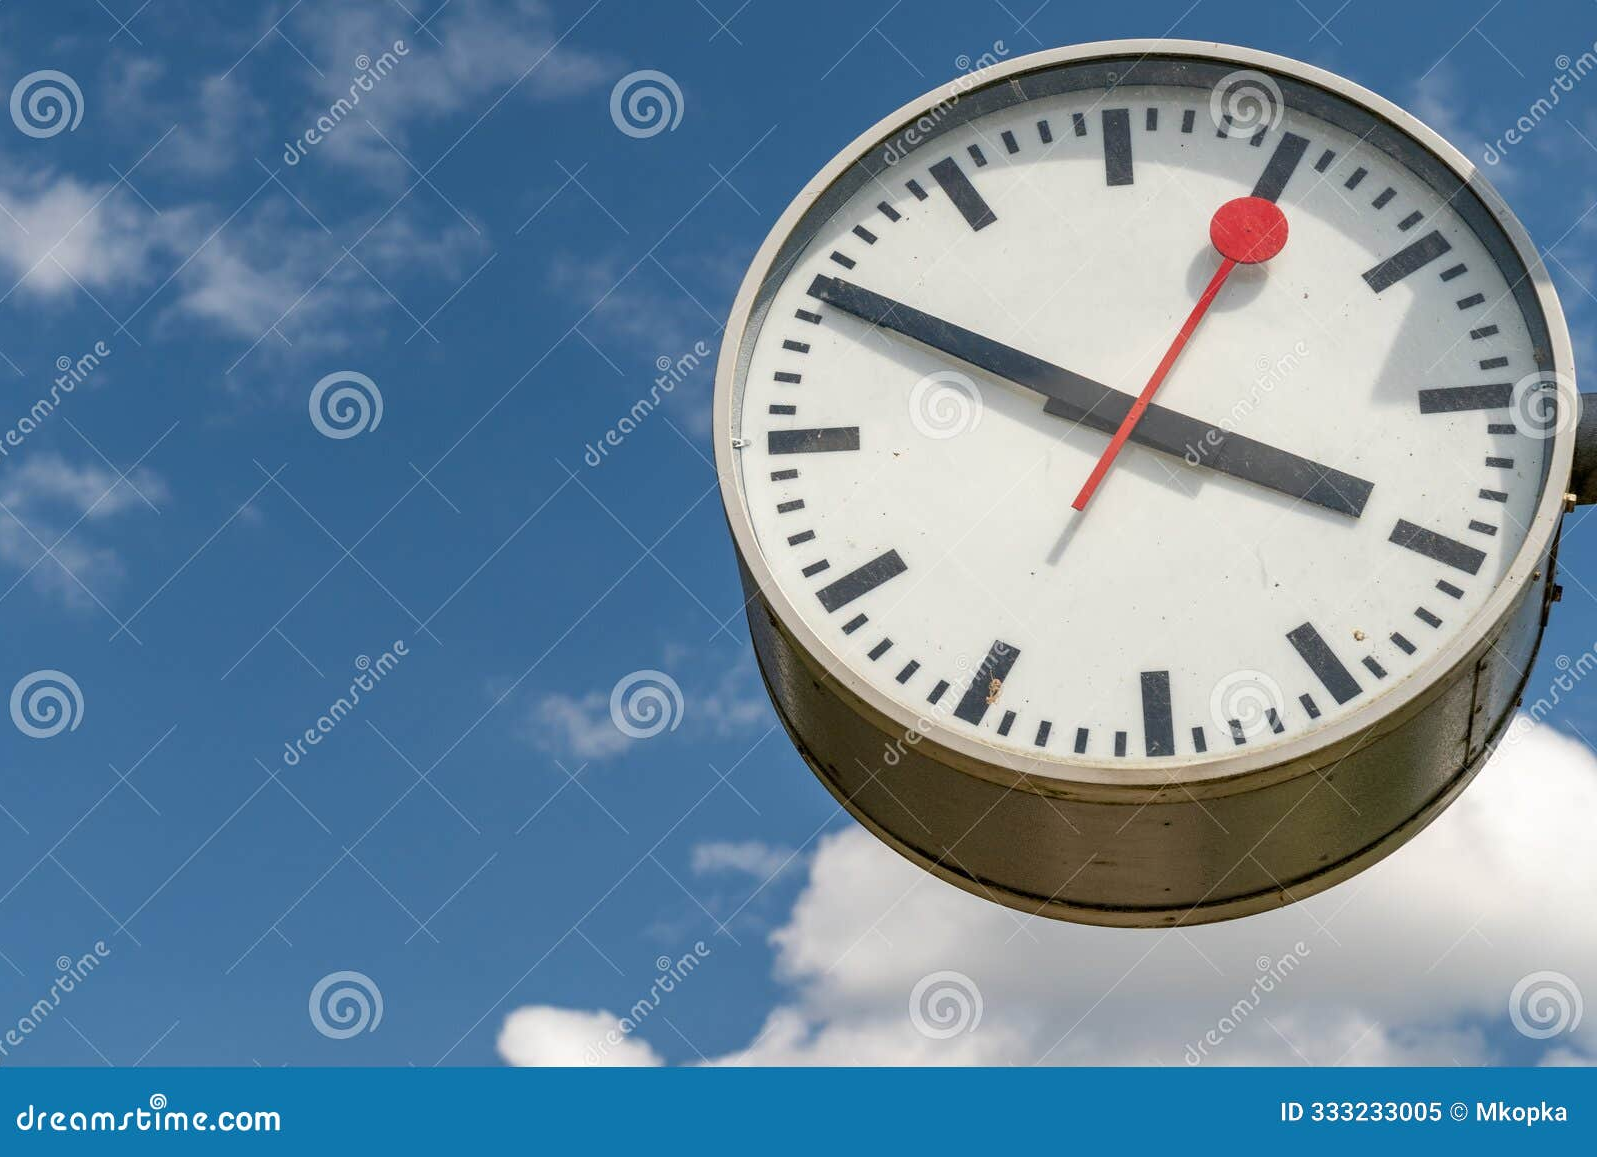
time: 3:49
